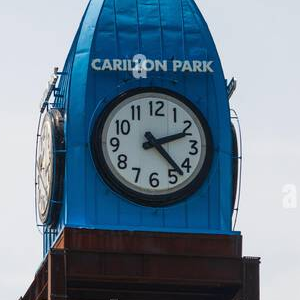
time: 2:22
